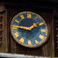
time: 1:46
